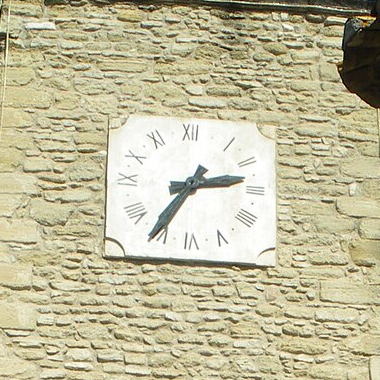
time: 2:35
